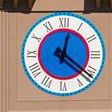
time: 12:21
